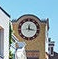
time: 12:16
